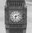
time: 6:12
